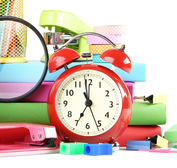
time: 6:58
